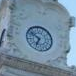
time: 6:52
